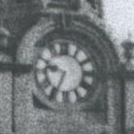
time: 9:34
